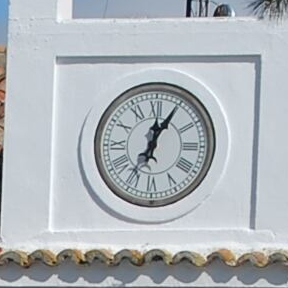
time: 12:04
